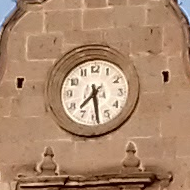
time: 7:28
